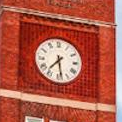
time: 7:28
